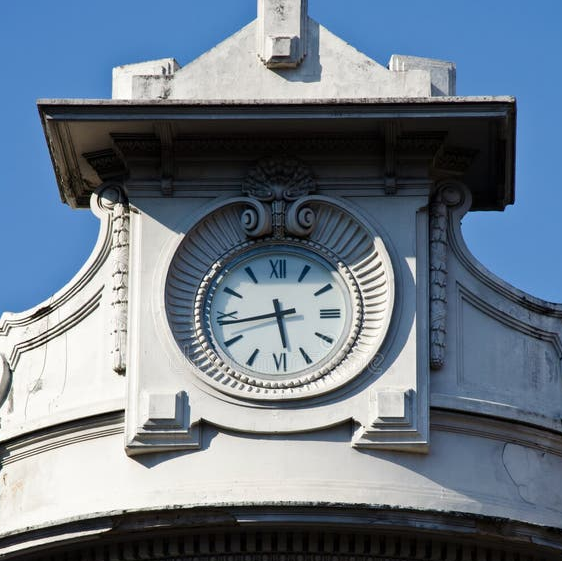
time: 5:43
